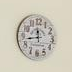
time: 11:43
